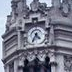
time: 4:34
